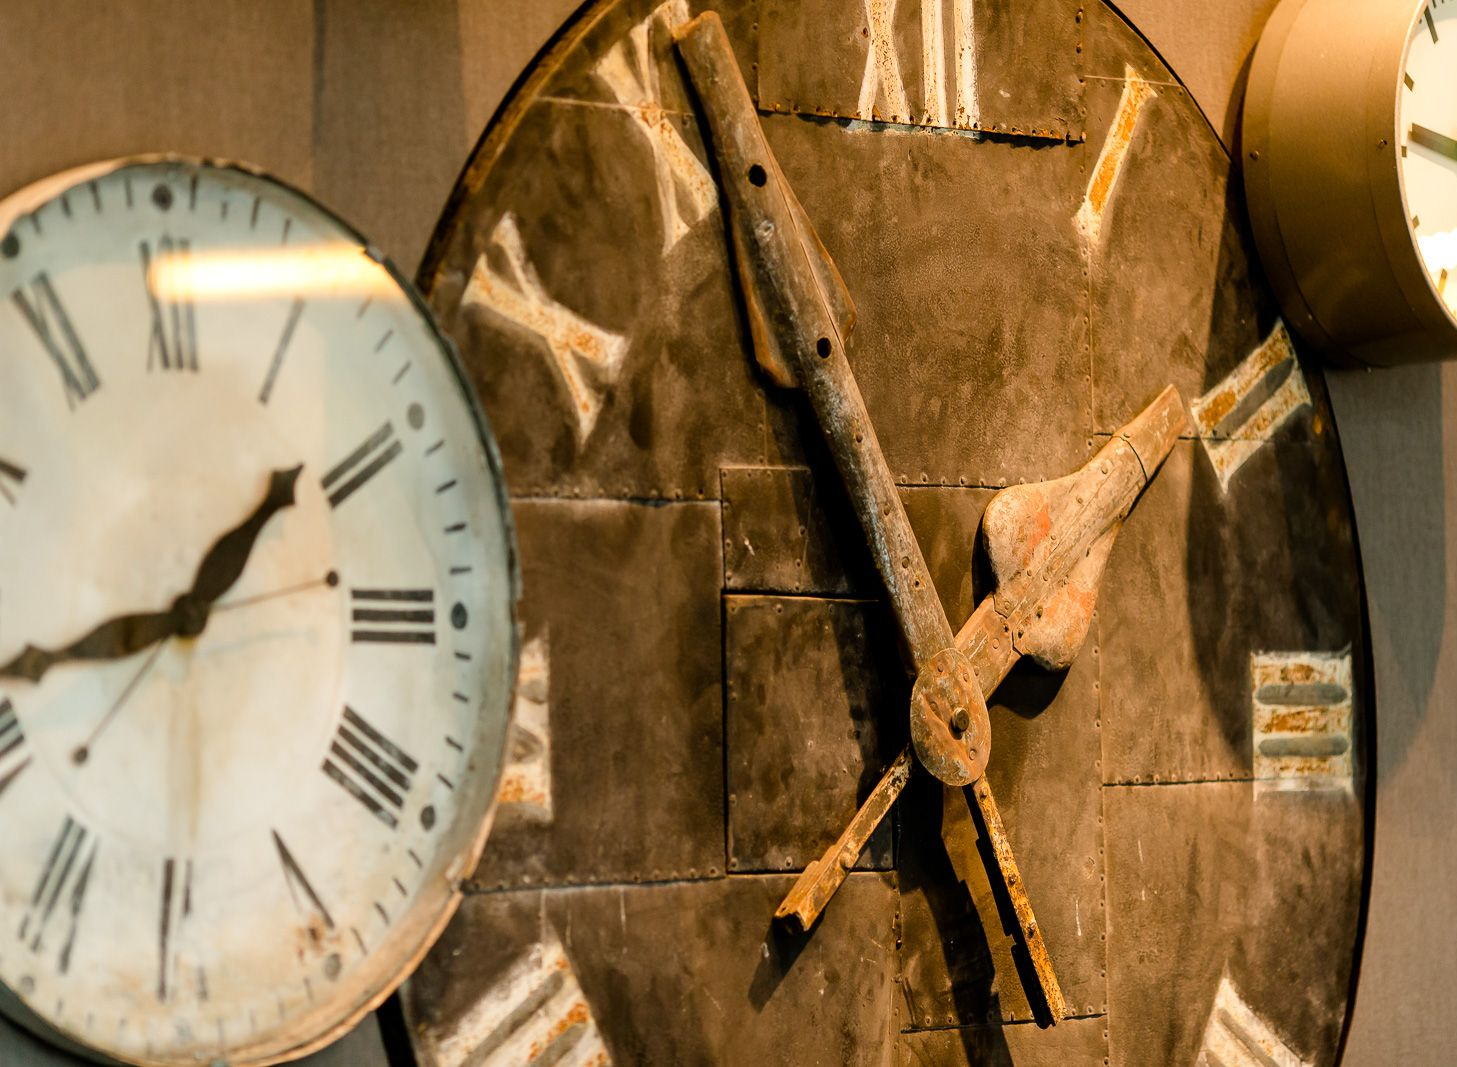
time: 1:42
